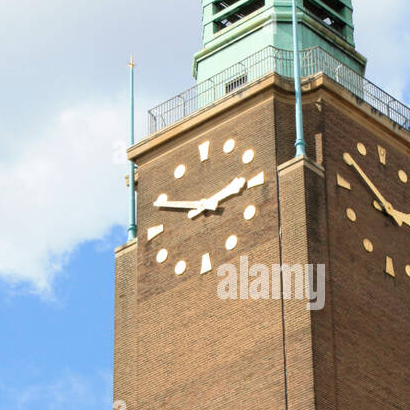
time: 2:48
